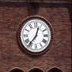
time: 12:36
